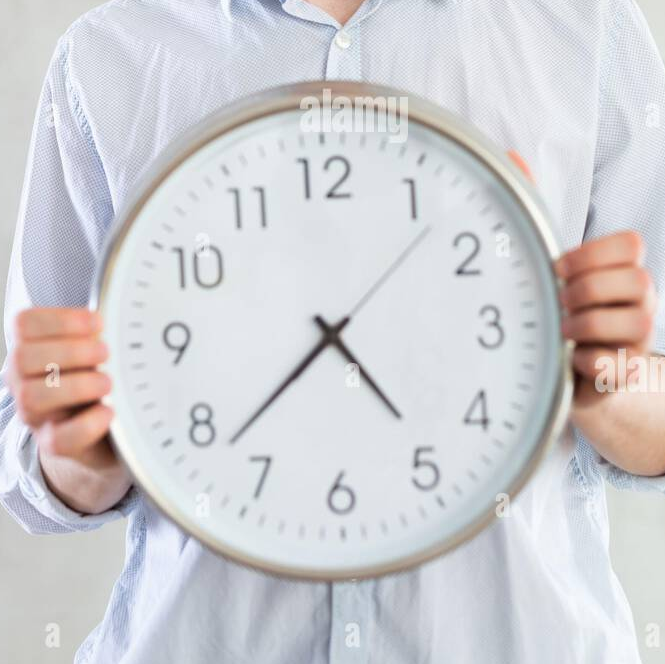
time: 4:37
